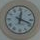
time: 12:18
